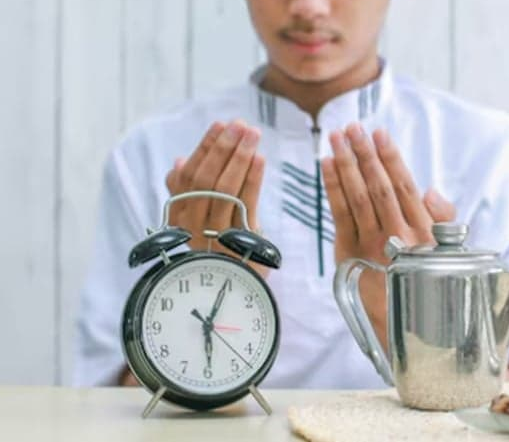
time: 6:04
